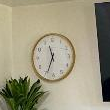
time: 11:33
